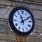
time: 11:10
